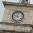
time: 11:46
